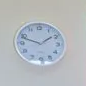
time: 1:48
